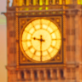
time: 9:30
